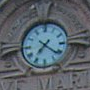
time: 7:21
